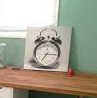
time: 7:15
